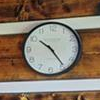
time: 10:23
